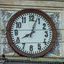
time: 8:03
